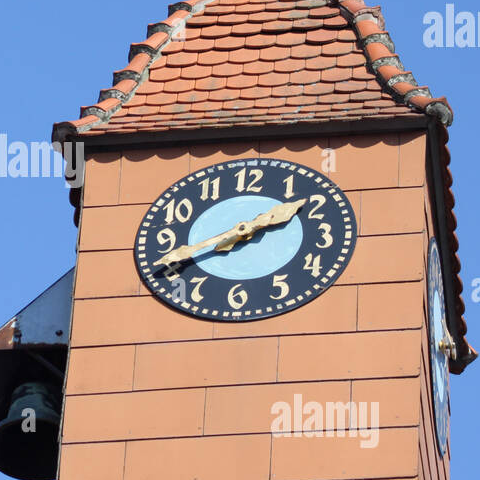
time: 2:40
